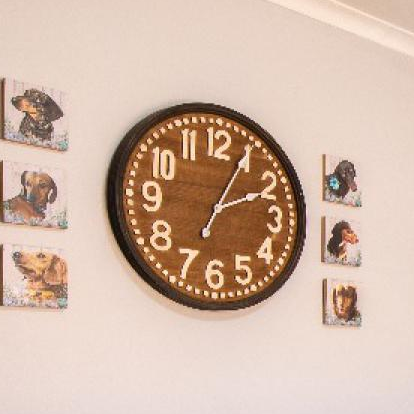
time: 2:04
